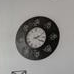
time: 2:18
